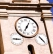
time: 7:05
